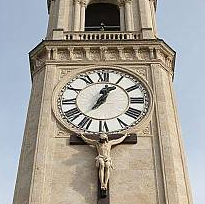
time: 1:02
